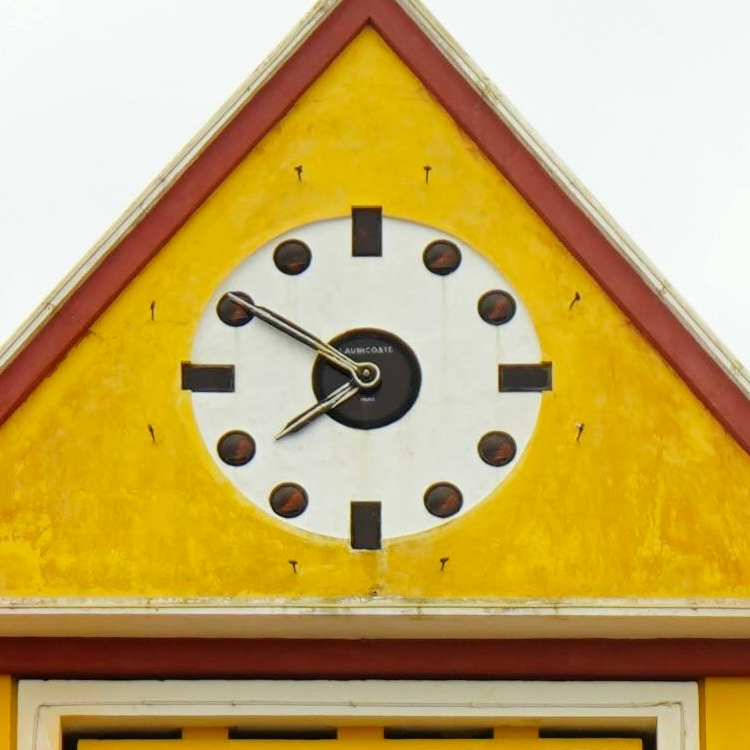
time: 7:50
